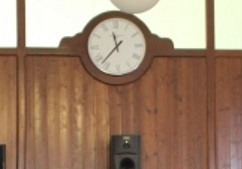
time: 11:37
